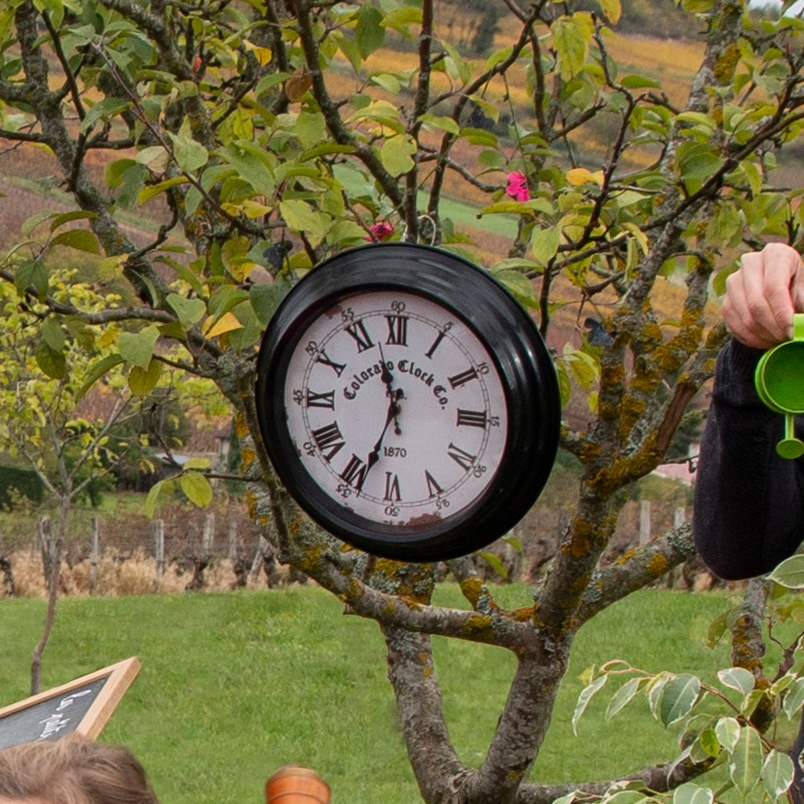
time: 11:33
